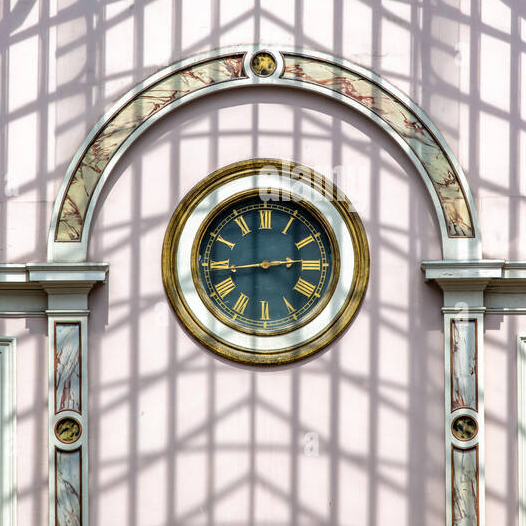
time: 2:43
